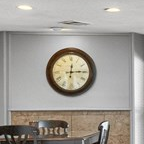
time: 12:14
